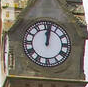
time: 12:01
